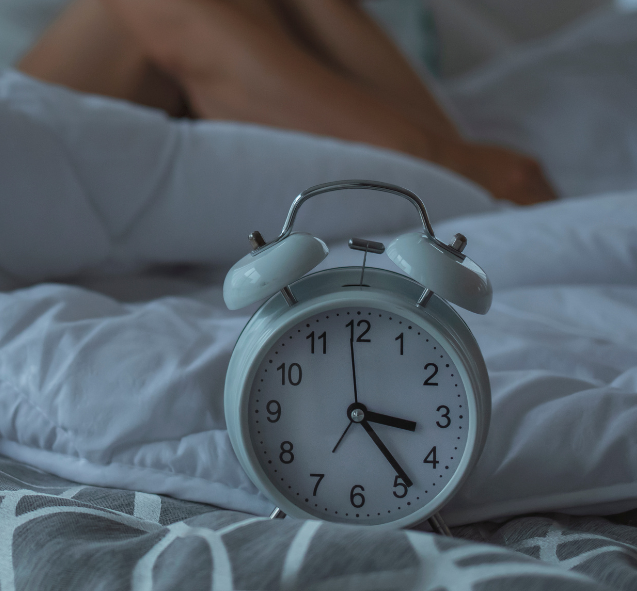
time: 3:23
